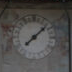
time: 7:07
